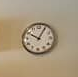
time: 10:04
